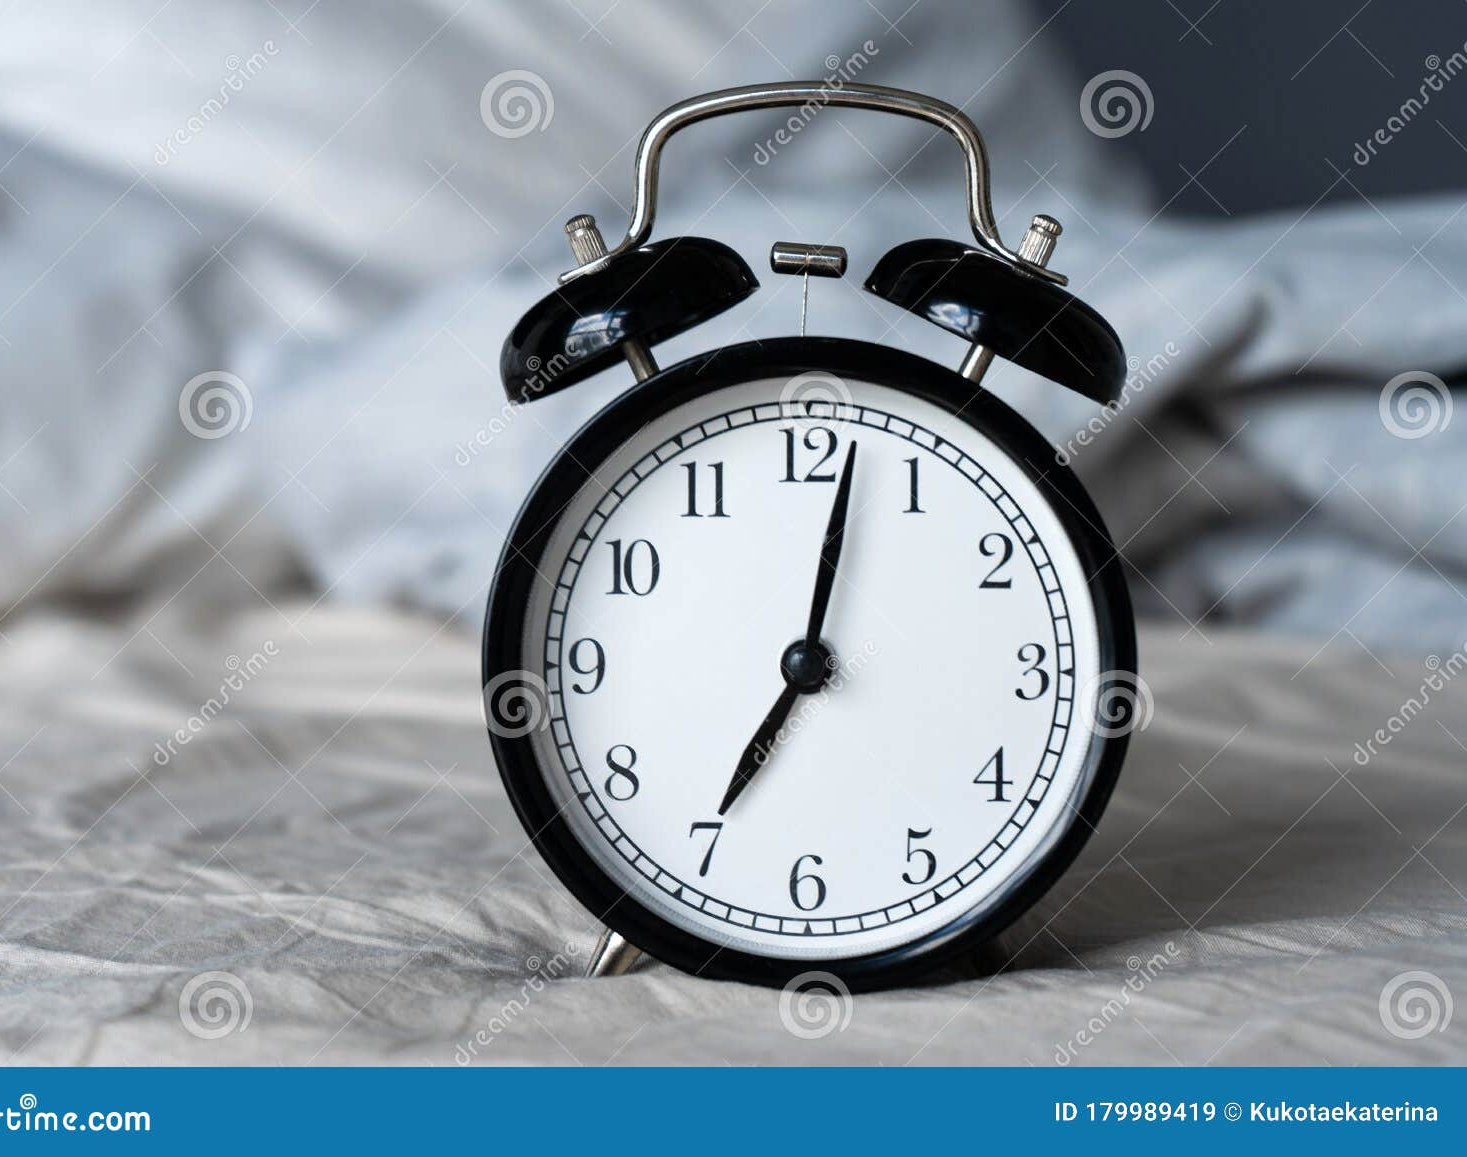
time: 7:02
